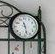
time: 11:28
